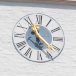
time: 5:21
